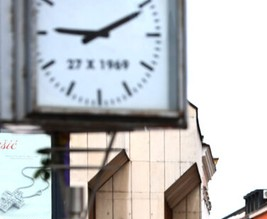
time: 9:10
